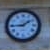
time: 1:44
